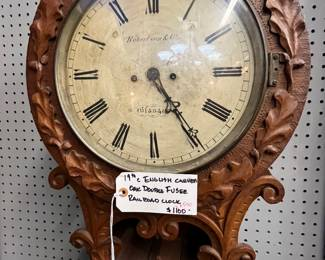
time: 4:24
